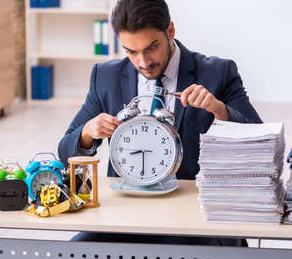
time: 8:29
